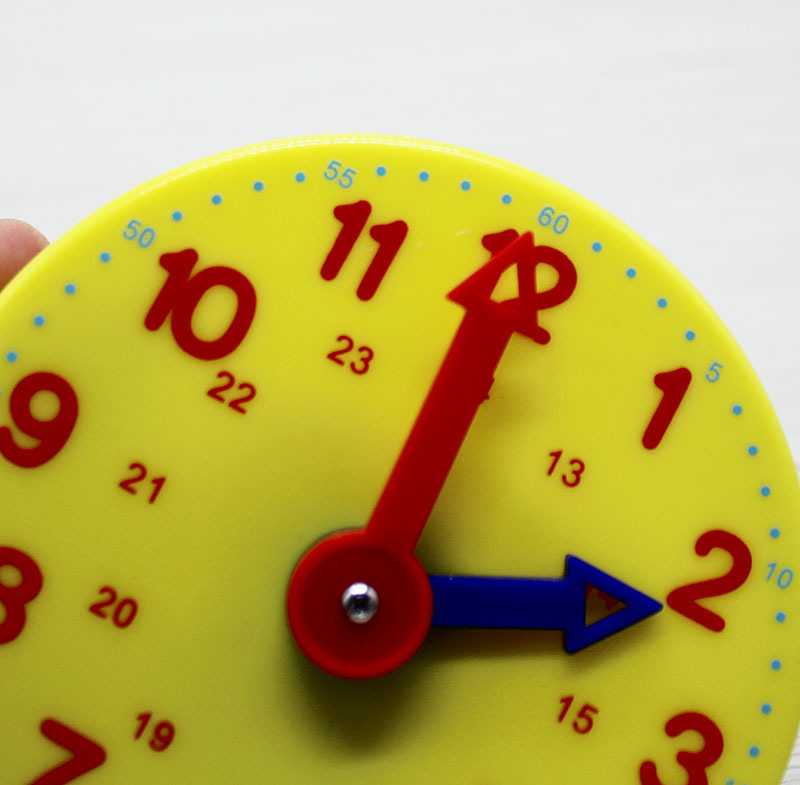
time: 3:04
